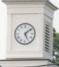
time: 5:08
